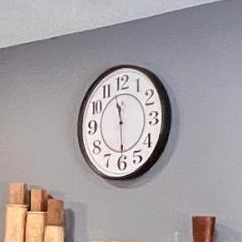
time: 11:29
